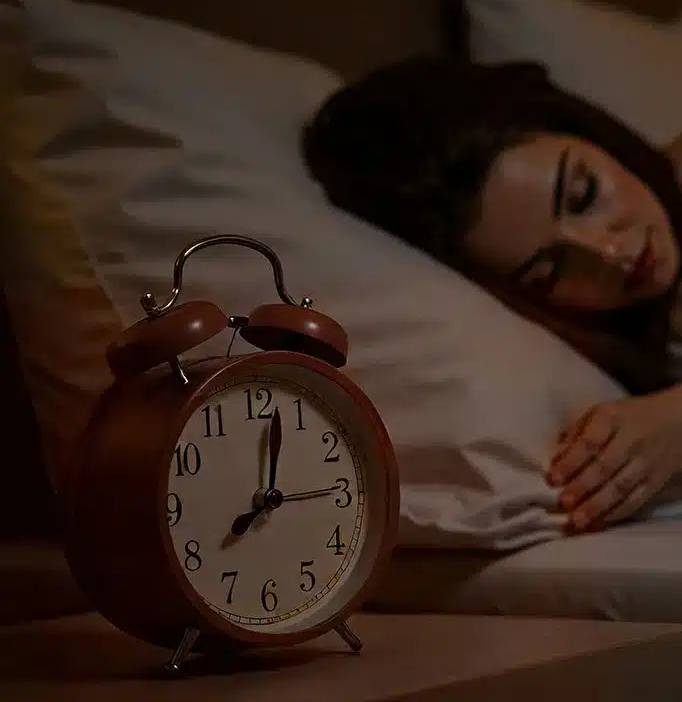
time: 8:02
